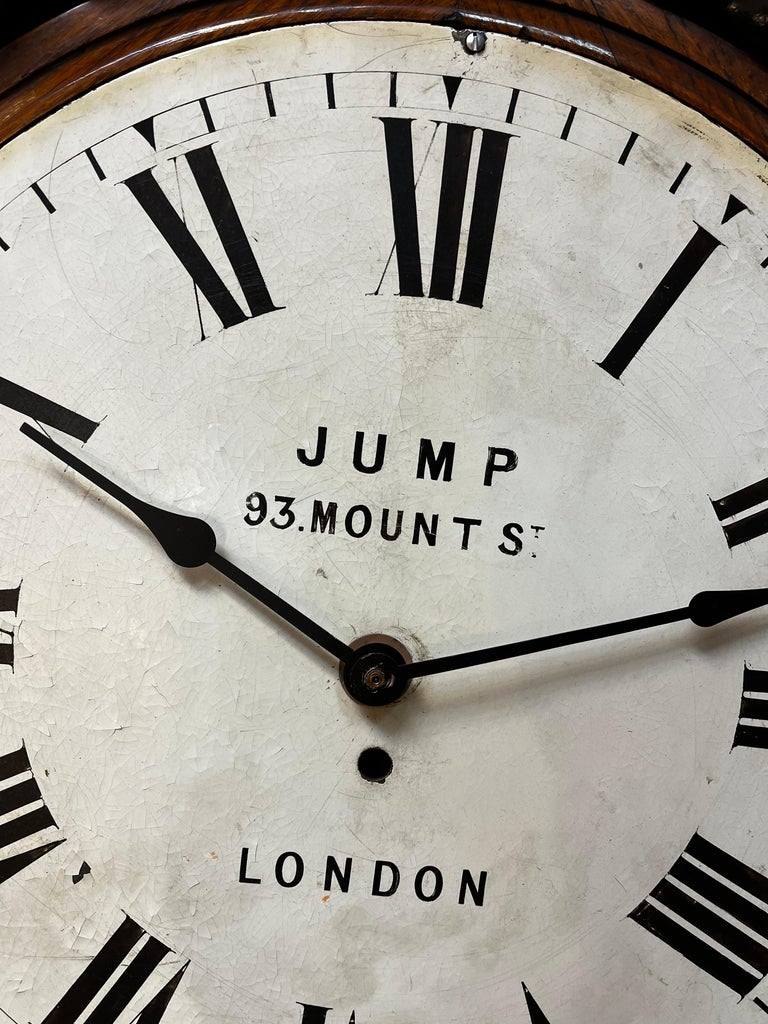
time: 2:49
